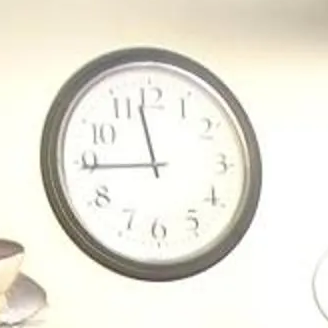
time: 11:44
